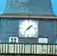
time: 1:37
